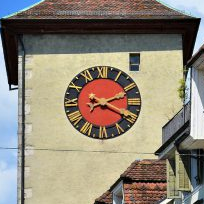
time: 2:19
